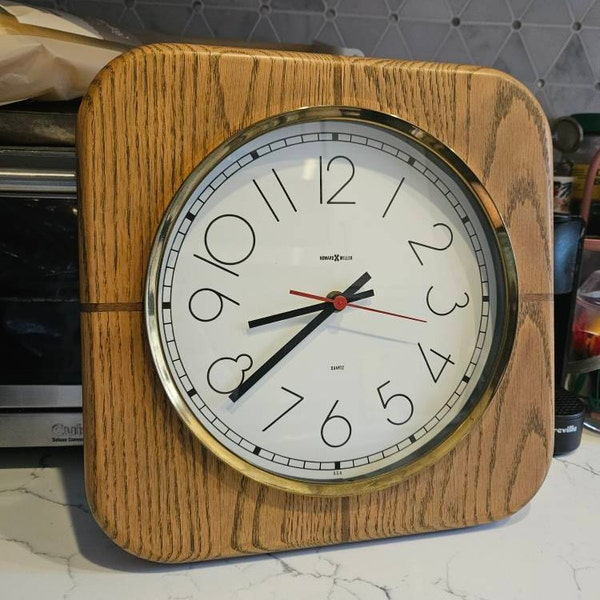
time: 8:38
